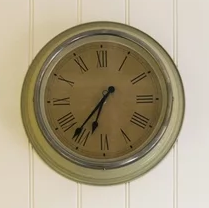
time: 6:36
